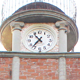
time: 10:36
